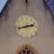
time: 2:42
